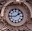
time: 1:43
